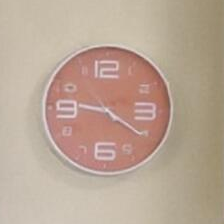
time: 9:20
